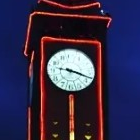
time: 9:17
